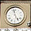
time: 4:57
